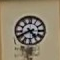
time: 4:40
